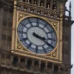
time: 3:20
